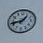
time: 1:42
